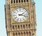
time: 2:17
